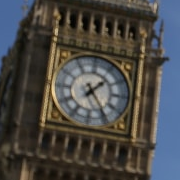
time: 1:24
